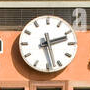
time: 2:27
